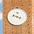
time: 3:47
